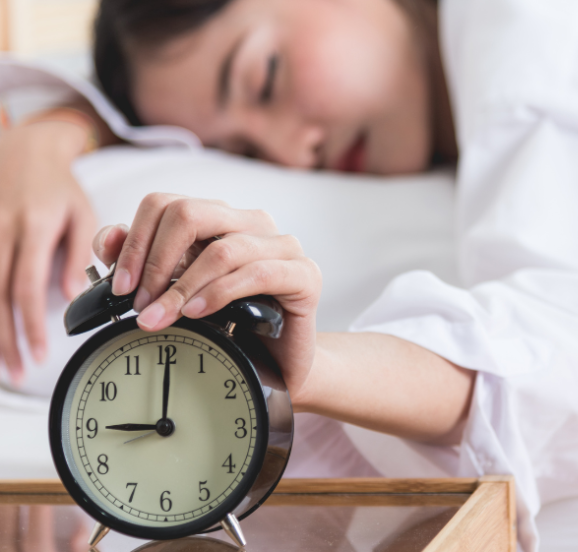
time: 9:00
